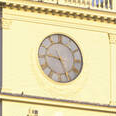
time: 9:26
